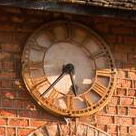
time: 5:37
